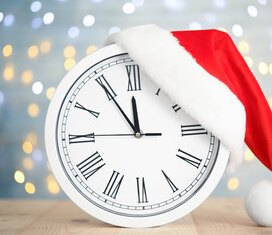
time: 11:54
